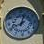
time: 8:02
